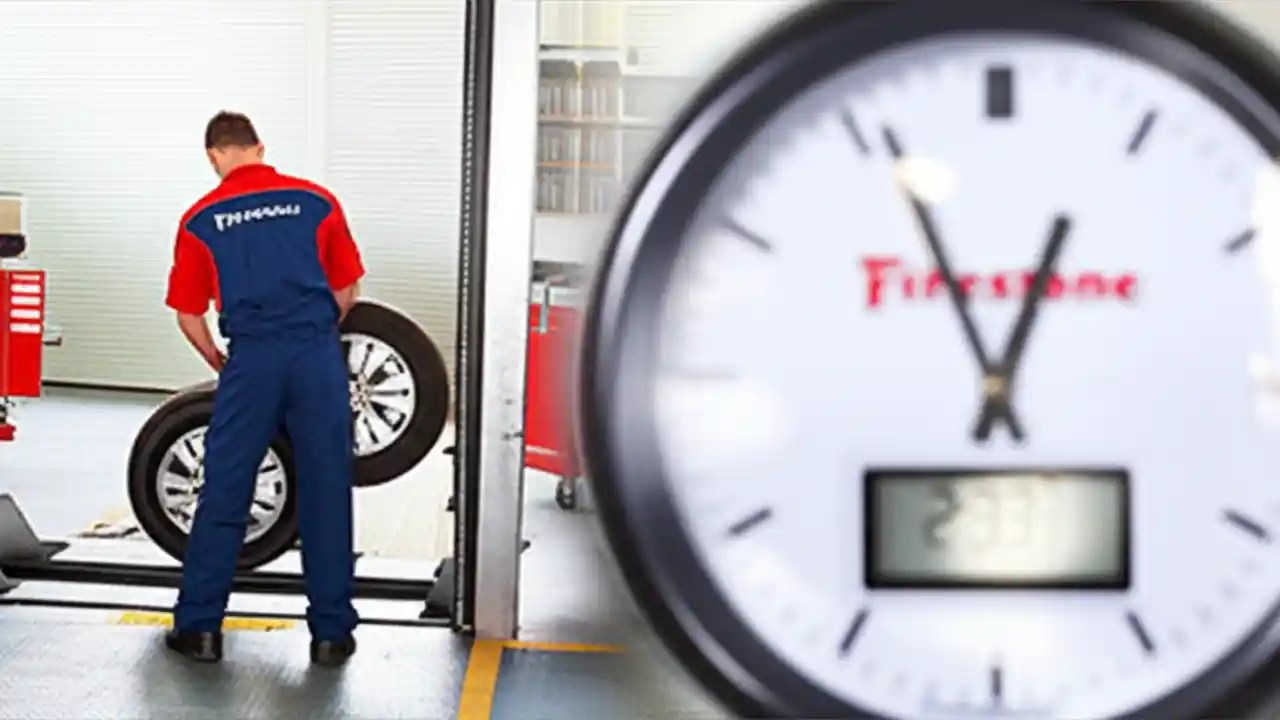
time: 12:55
